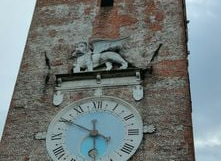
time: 5:49
